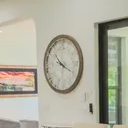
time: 10:19
